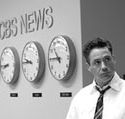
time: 10:45
